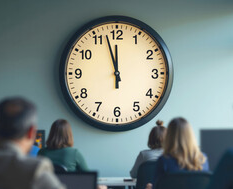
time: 11:57
